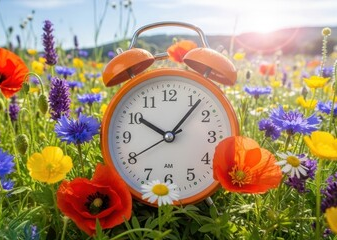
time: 10:07
